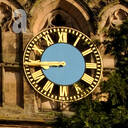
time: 8:45
